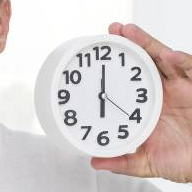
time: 6:00
